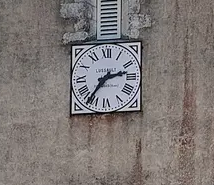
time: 2:36
